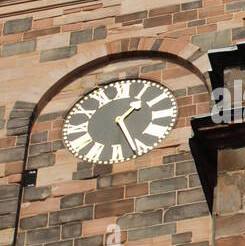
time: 1:25
